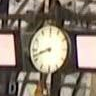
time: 8:42
